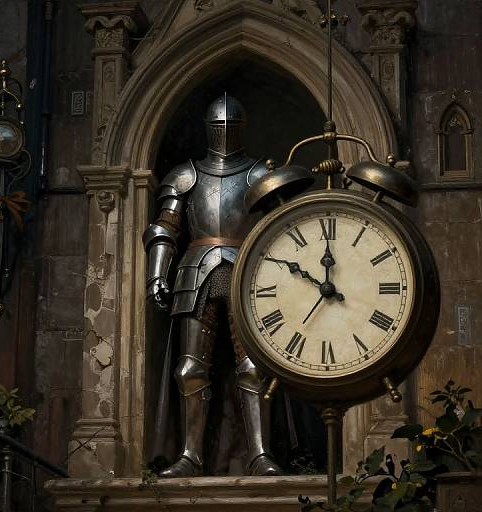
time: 11:50
